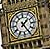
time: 1:24
